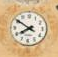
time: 7:50
